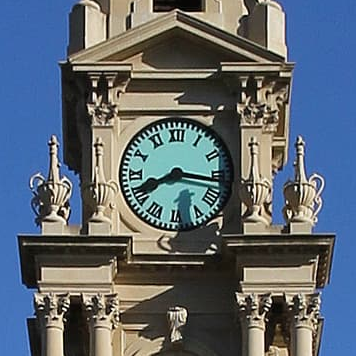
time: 8:16
